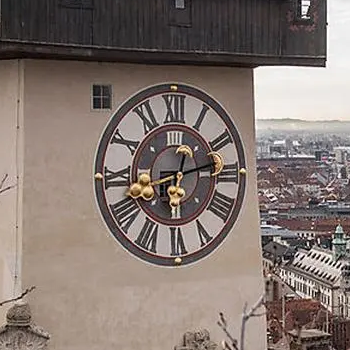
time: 6:13
